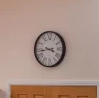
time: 3:43
